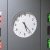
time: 5:23
